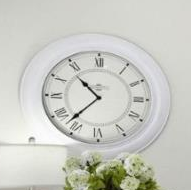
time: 10:36
